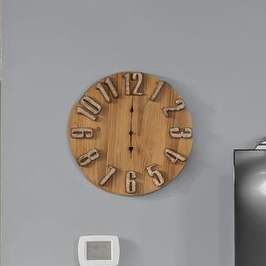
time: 6:00
